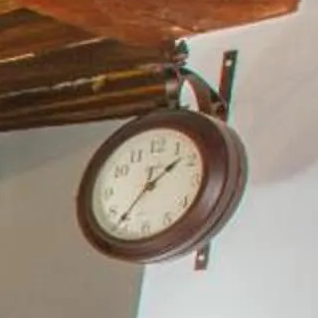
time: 1:36
